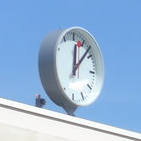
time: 12:07
